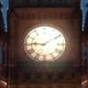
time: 9:09
